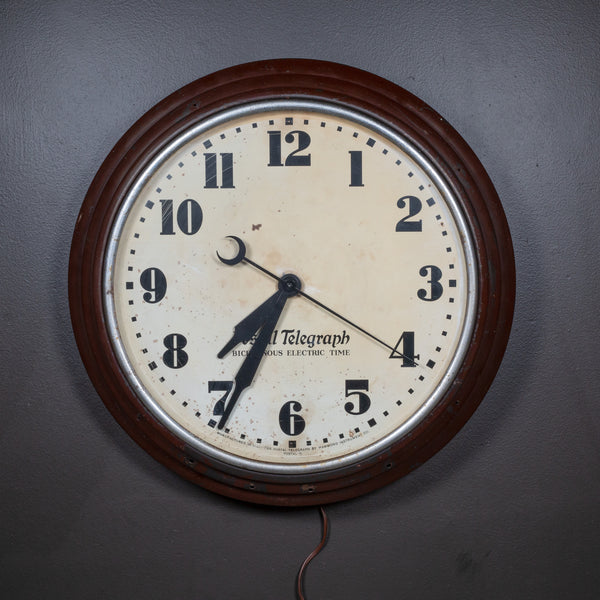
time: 7:34
